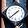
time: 1:38
